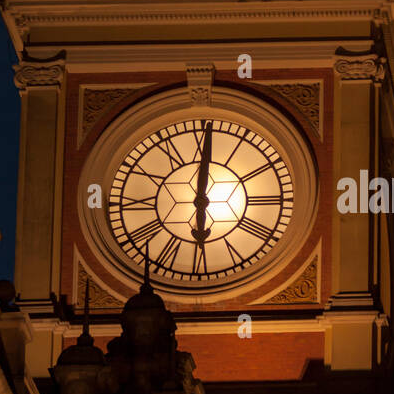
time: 6:00
